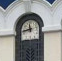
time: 11:43
